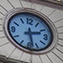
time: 2:28
